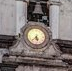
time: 5:37
